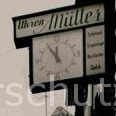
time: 11:54
